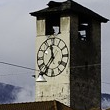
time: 11:36
